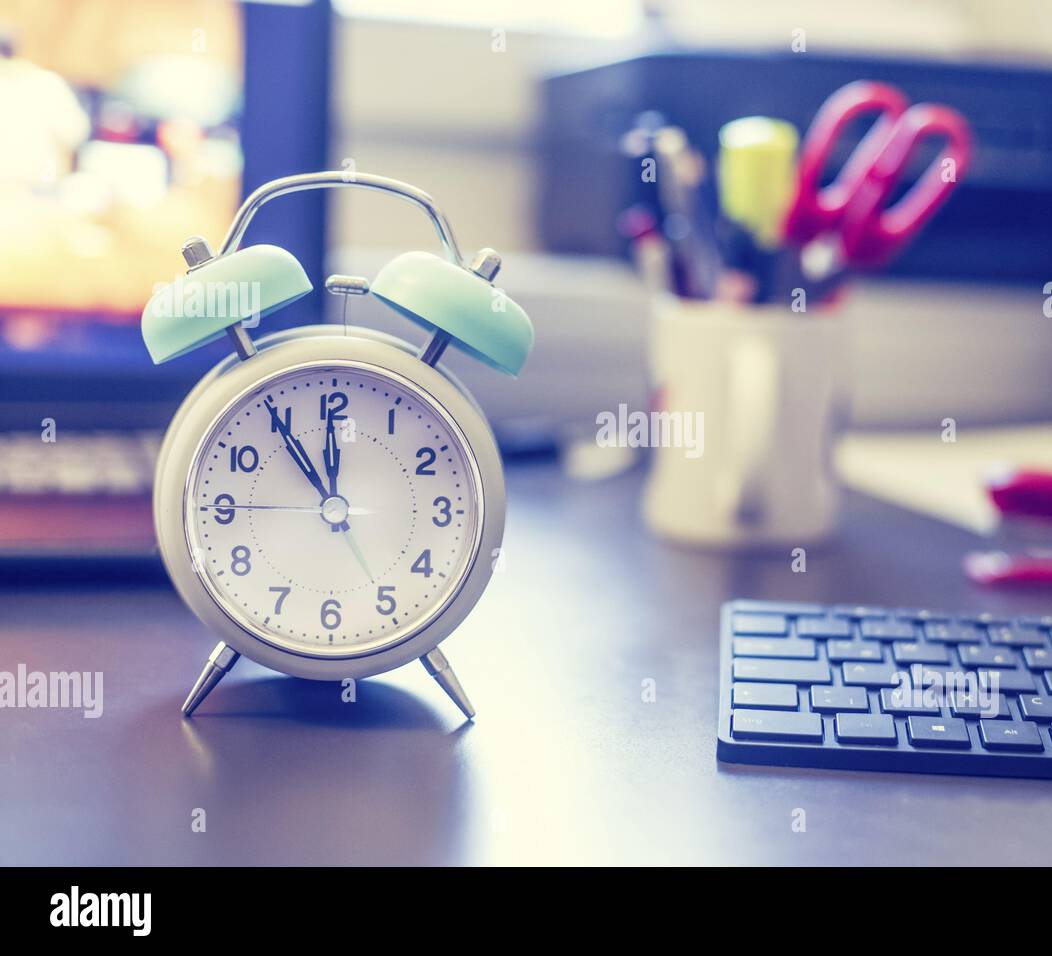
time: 11:54
